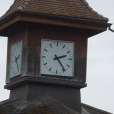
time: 2:24
